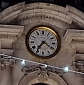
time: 7:20
